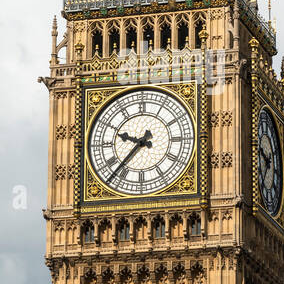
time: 9:37
